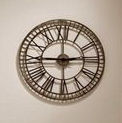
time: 2:45
